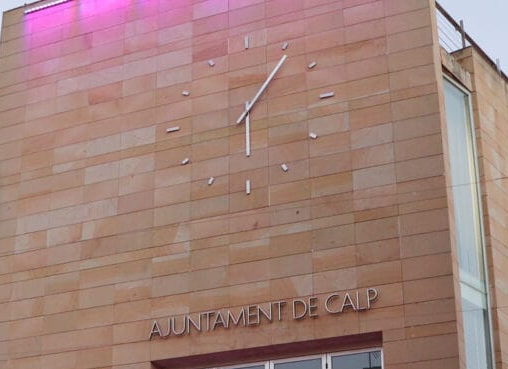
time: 6:06
